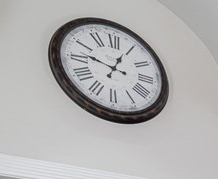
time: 12:46
